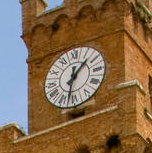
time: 1:32
